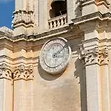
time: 3:09
